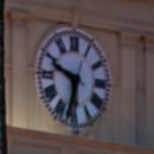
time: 9:32
